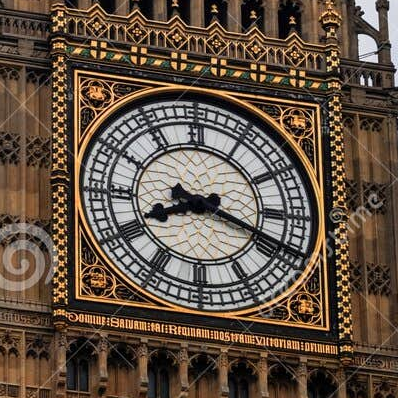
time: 8:18
